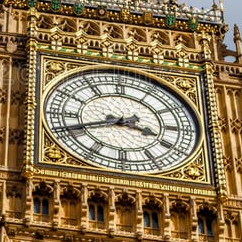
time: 3:41
